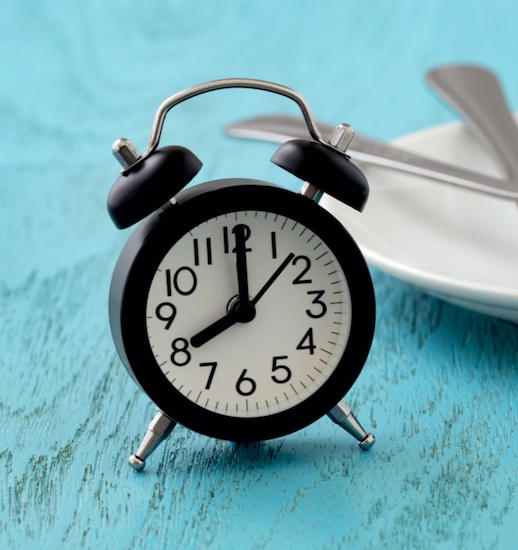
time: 8:00
